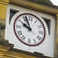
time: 9:56
